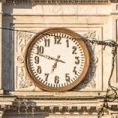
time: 6:47
